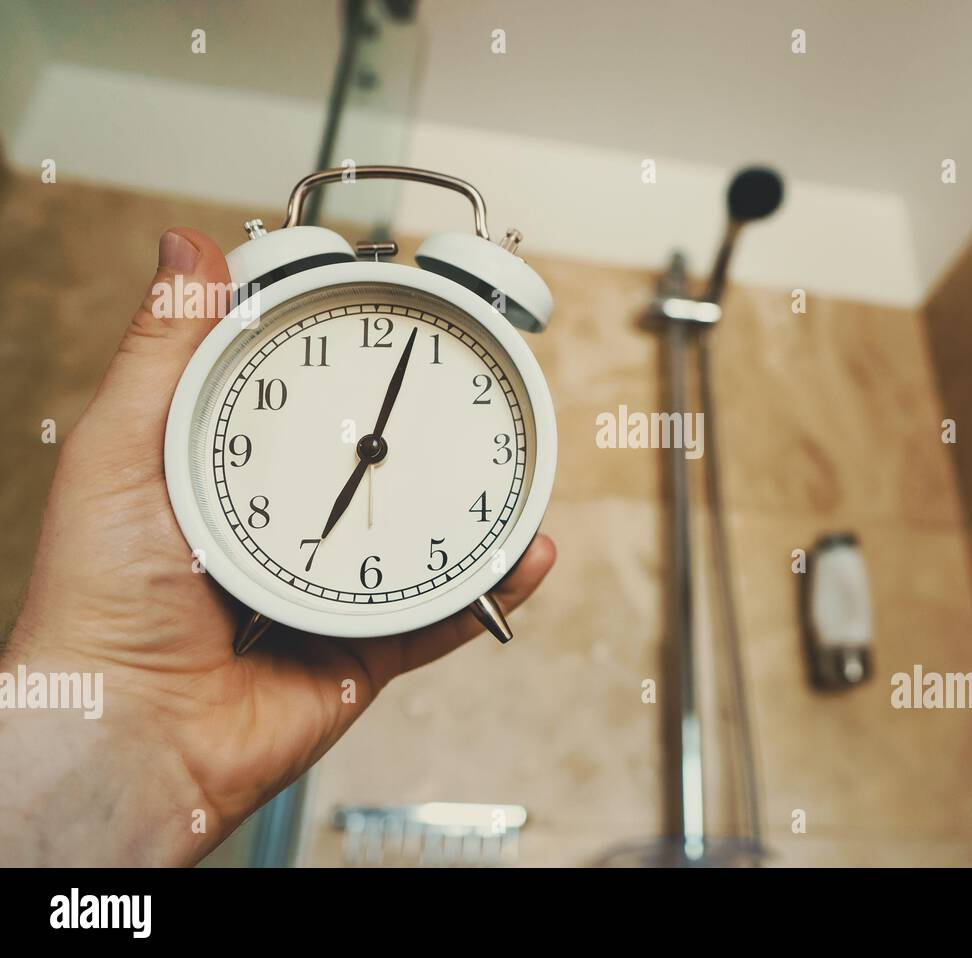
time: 7:03
